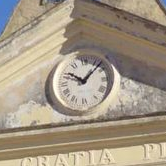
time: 10:07
